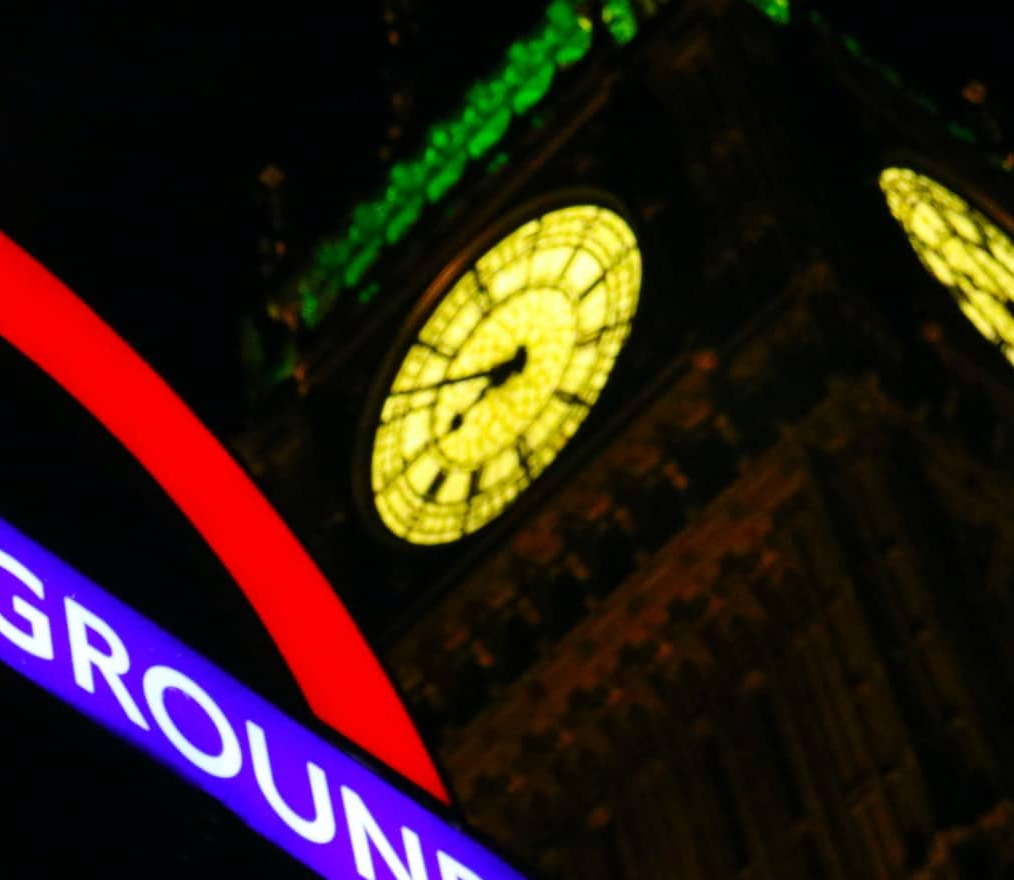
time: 7:46
